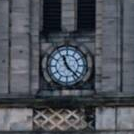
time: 11:22
